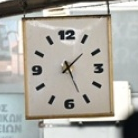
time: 1:26
